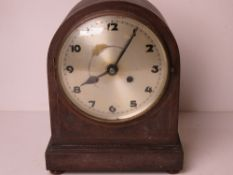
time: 8:05
